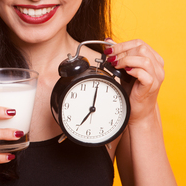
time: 7:01
